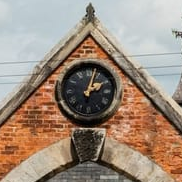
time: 2:02
